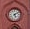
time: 5:09
